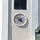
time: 4:52
